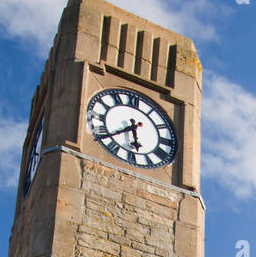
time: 5:38
